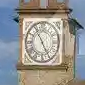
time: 4:54
